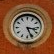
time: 3:26
